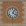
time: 4:06
